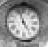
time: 4:57
